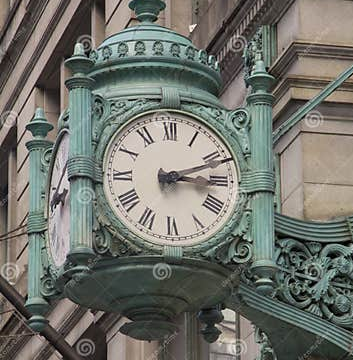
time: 3:11
